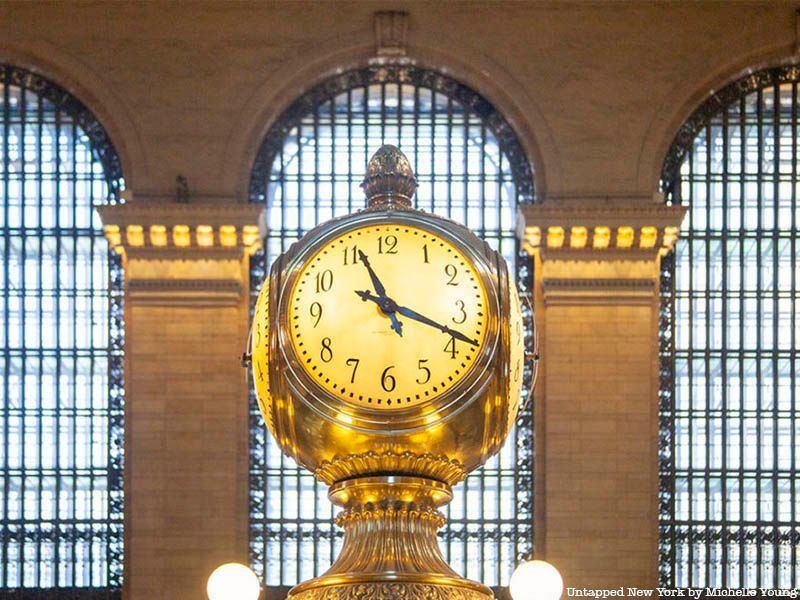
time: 11:18
